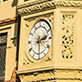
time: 2:29
